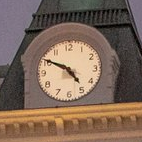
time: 4:50
